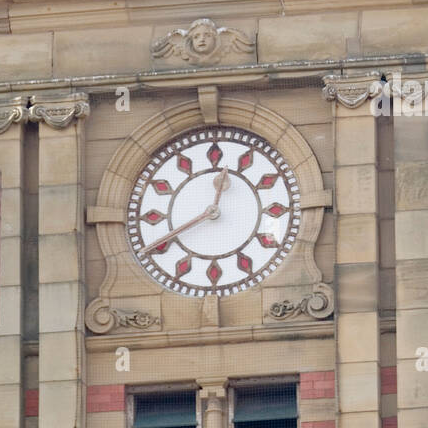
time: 12:40
